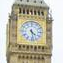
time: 4:28
